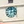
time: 12:13
